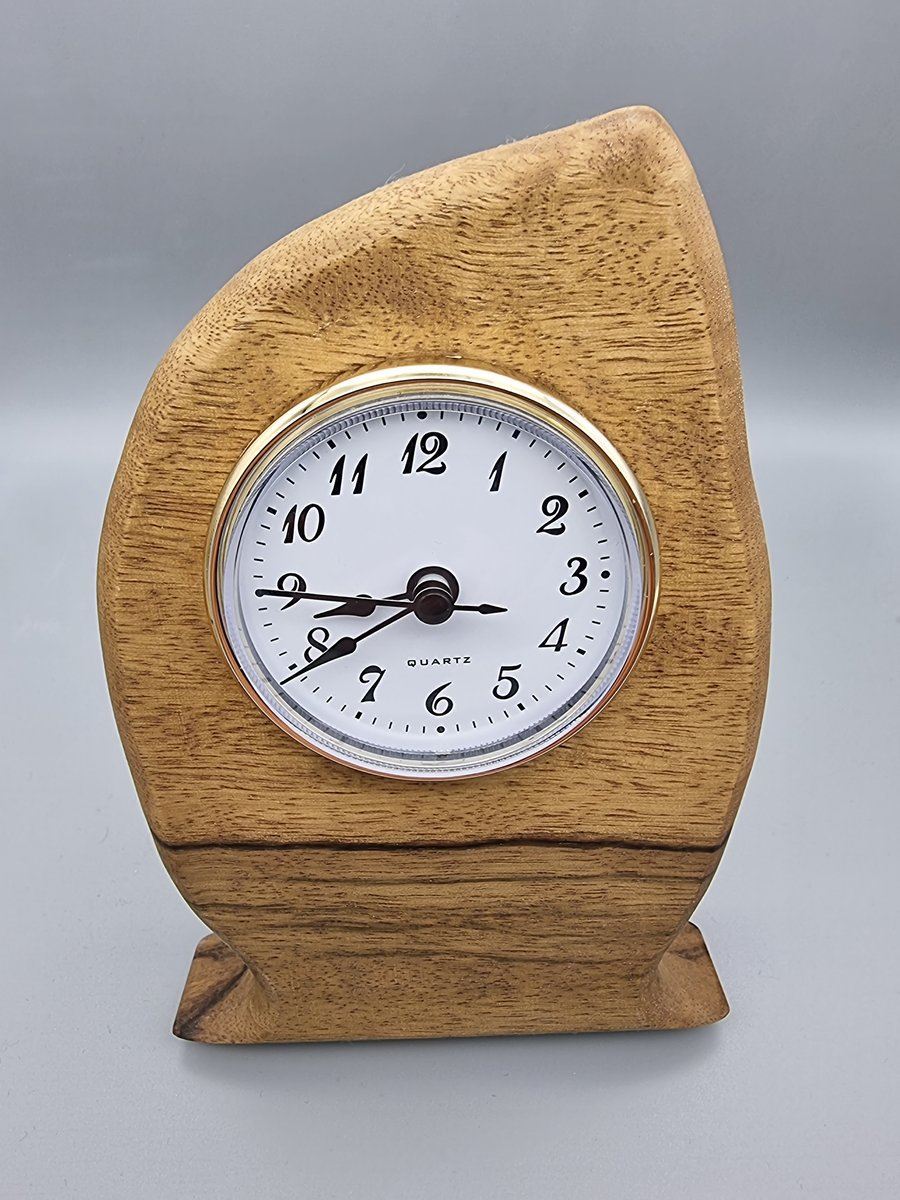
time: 8:39
